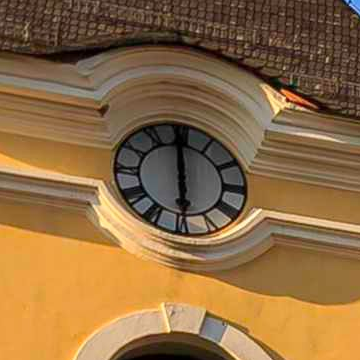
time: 5:59
